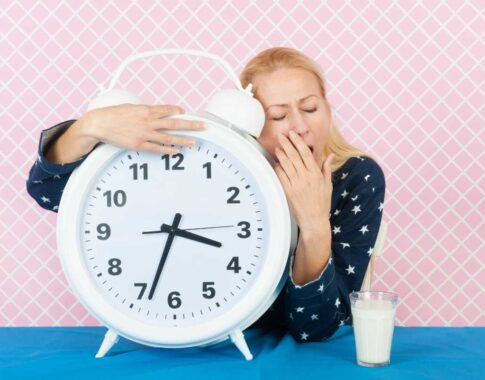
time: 3:33
